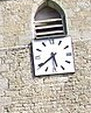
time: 5:38
